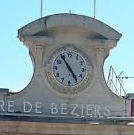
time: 4:54
